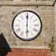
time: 6:00
